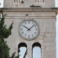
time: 10:07
